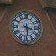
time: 3:29
